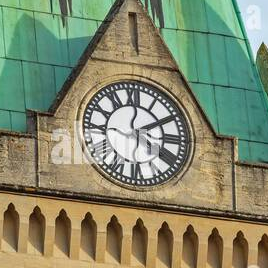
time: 12:10
